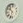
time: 10:32
